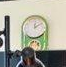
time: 12:09
